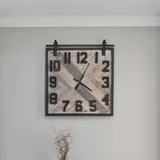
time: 4:04
